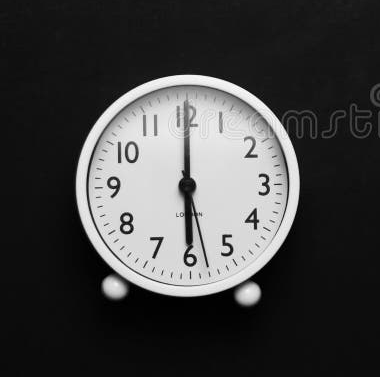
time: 6:00
